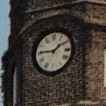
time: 1:45
